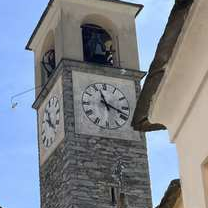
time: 11:18
